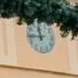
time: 11:44
